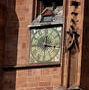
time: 12:16
